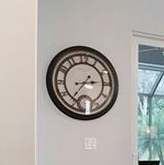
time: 2:36
